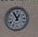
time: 12:55
